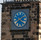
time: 4:09
